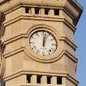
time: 12:02
